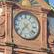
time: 7:22
